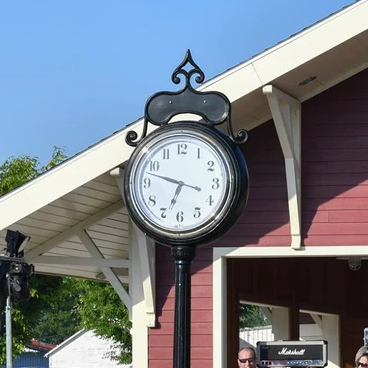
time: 6:47
